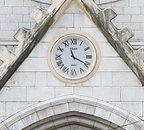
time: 11:19
